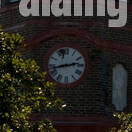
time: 2:42
